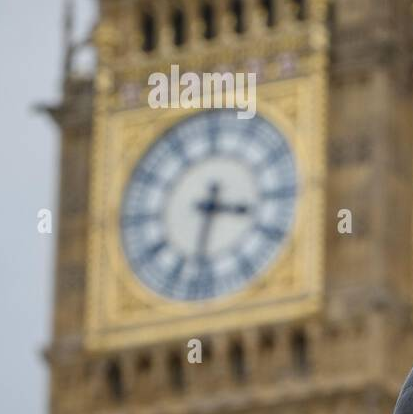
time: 3:32
